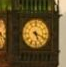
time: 5:18
